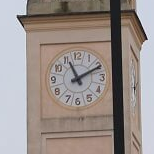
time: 11:10
